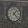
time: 1:22
